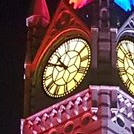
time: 10:50
